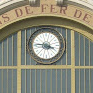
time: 3:46
